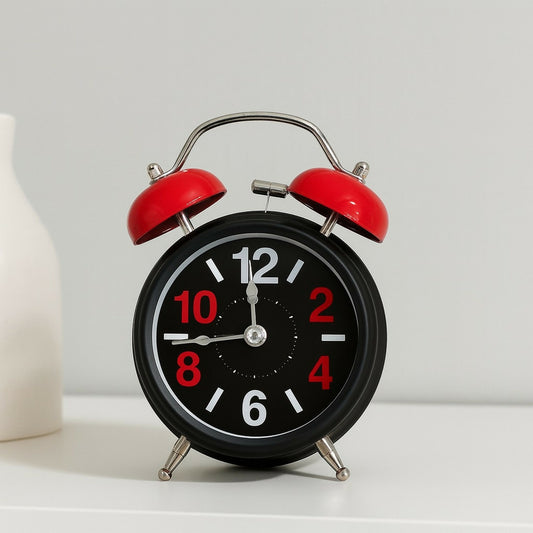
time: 11:44
